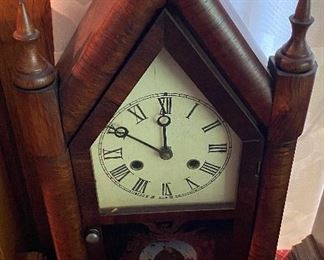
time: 11:50
